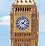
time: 1:20
